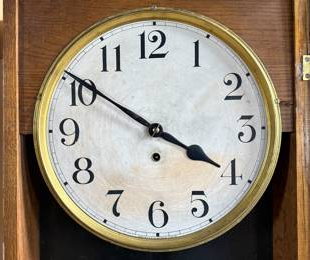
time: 3:50
